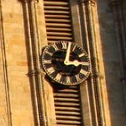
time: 3:02
